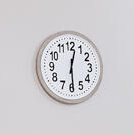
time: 12:29
